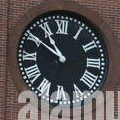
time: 10:50
